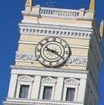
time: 3:20
